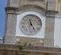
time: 11:24
